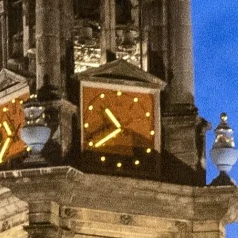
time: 10:39
